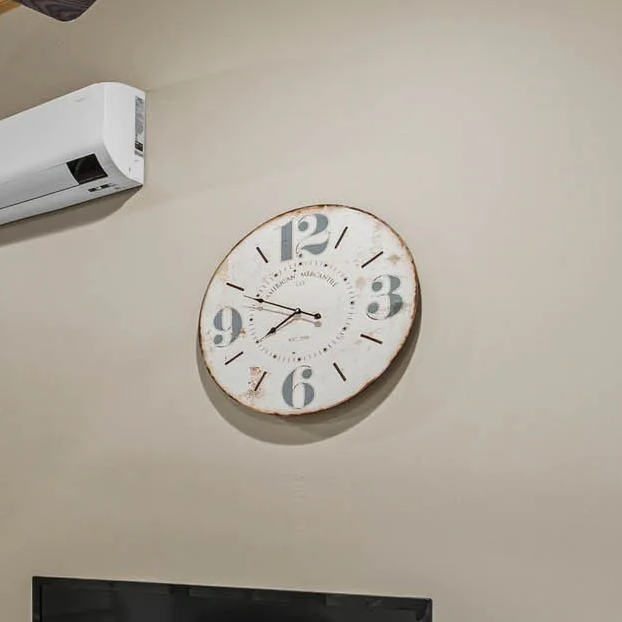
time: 7:49
